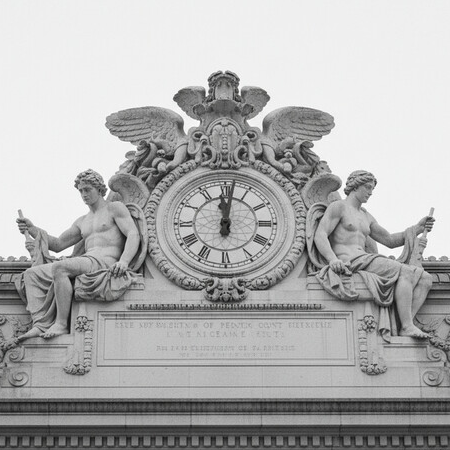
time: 12:01
